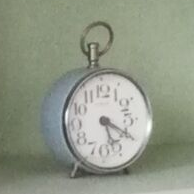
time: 5:19
